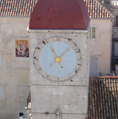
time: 11:07
